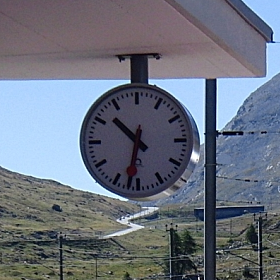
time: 10:32
